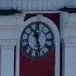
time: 11:28
